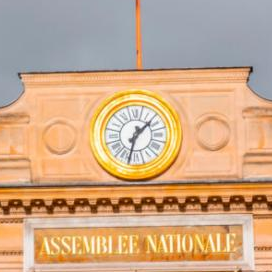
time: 1:32
